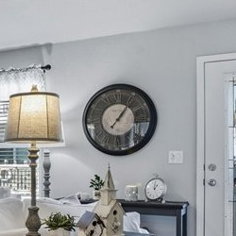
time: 1:06
